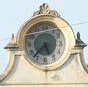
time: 5:37
